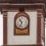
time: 10:34
